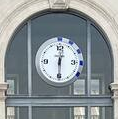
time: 12:29
